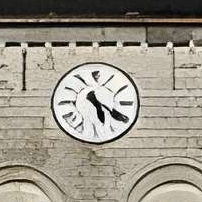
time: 5:20
